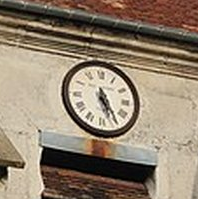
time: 5:24
